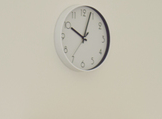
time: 10:03
